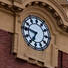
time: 6:46
